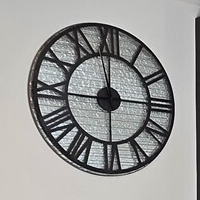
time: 11:44
